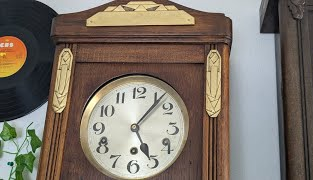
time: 5:06
